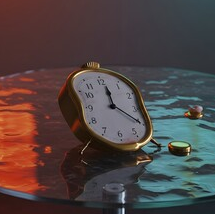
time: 12:20
